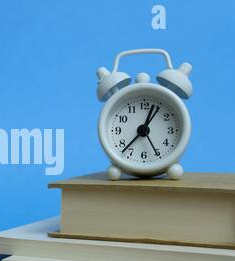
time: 12:37
